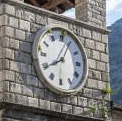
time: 8:04
